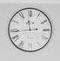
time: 11:43
